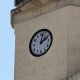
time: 2:01
